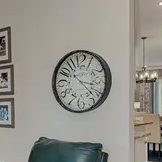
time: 3:22
